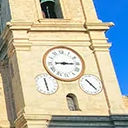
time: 3:14
